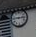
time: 2:45
